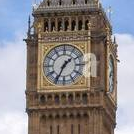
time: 1:34
